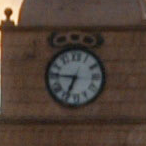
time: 6:46
